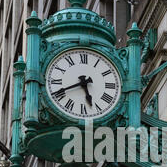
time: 5:40
